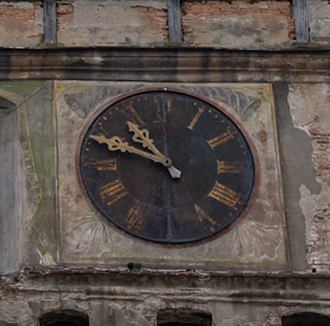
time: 10:48
